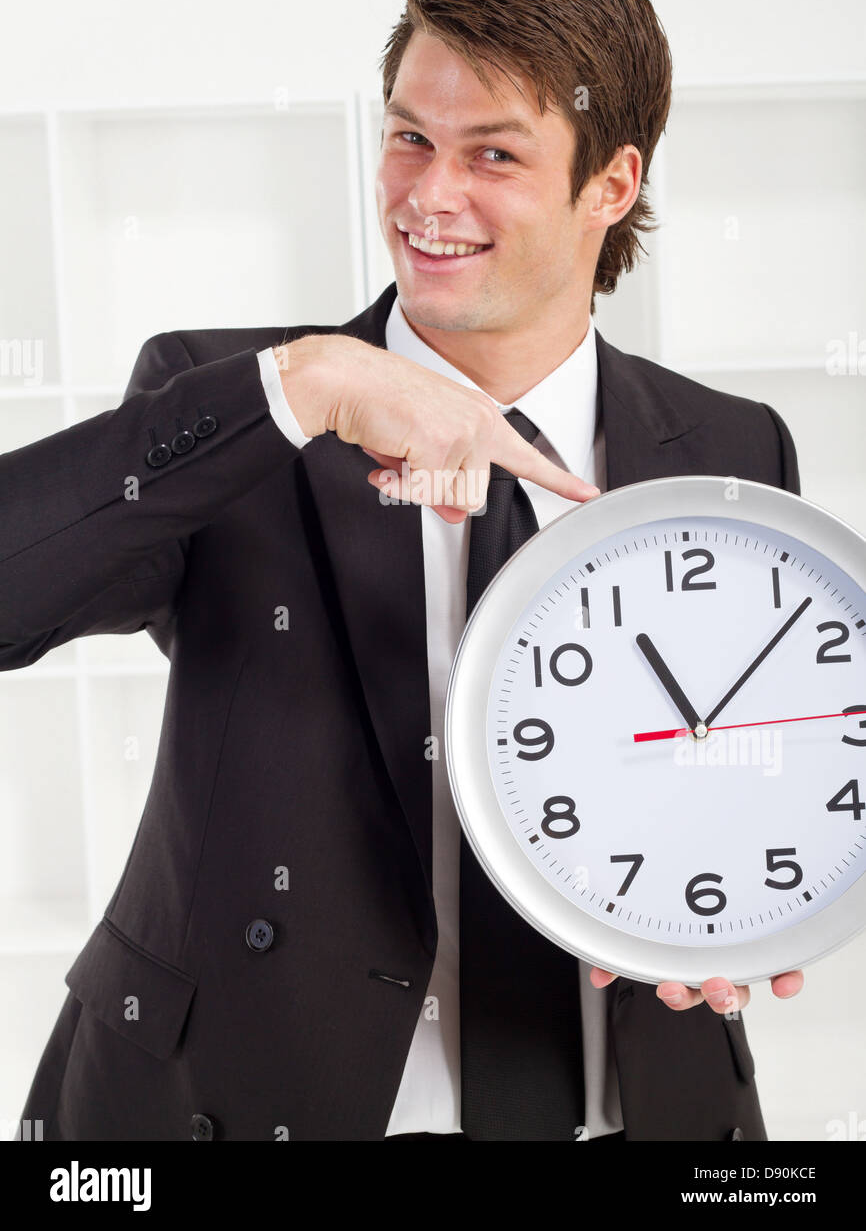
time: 11:07
